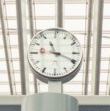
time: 11:19
